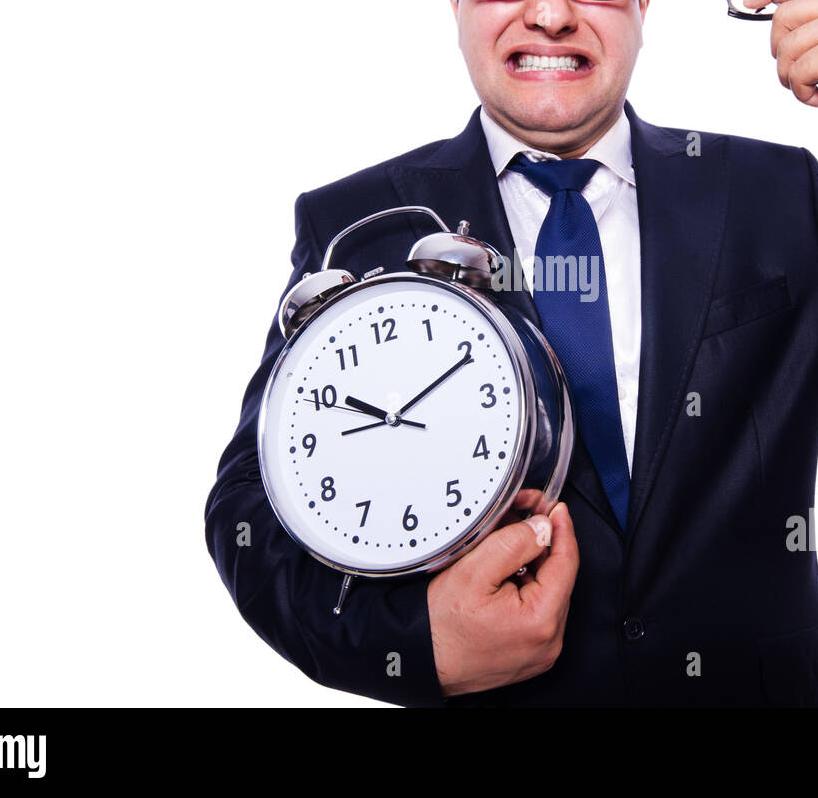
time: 10:10
